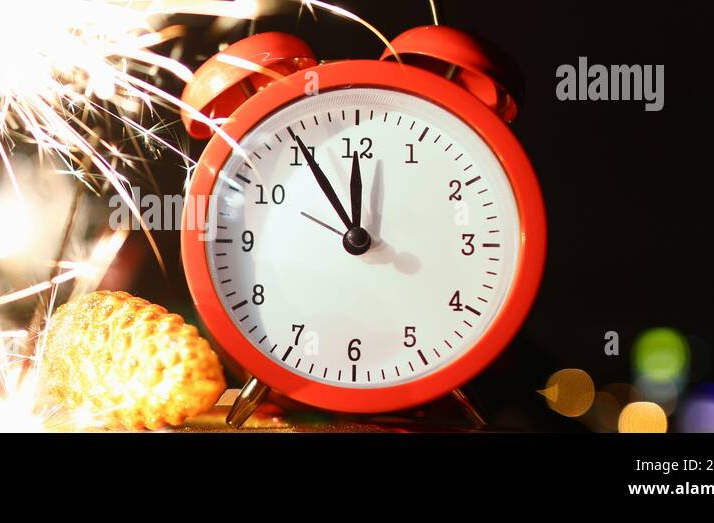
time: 11:54
